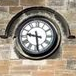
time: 9:28
